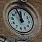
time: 11:56
